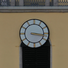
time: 3:17
